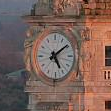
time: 5:09
